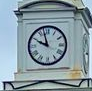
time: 9:57
